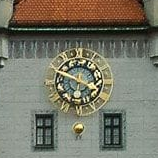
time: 3:48
